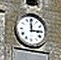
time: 2:59
